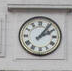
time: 2:06
